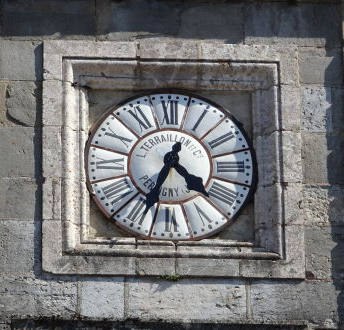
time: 4:34
